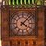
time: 4:07
